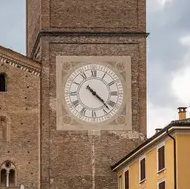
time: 4:22
